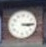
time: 3:14
